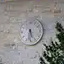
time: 5:31
